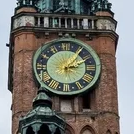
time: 2:06
